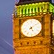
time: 5:09
